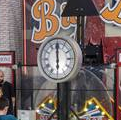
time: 6:00
